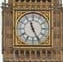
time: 11:25
